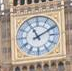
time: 11:10
